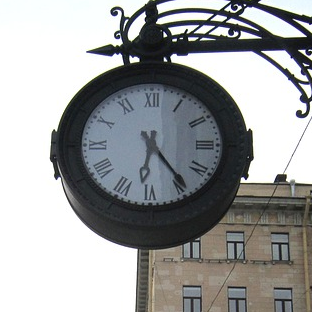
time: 6:23
